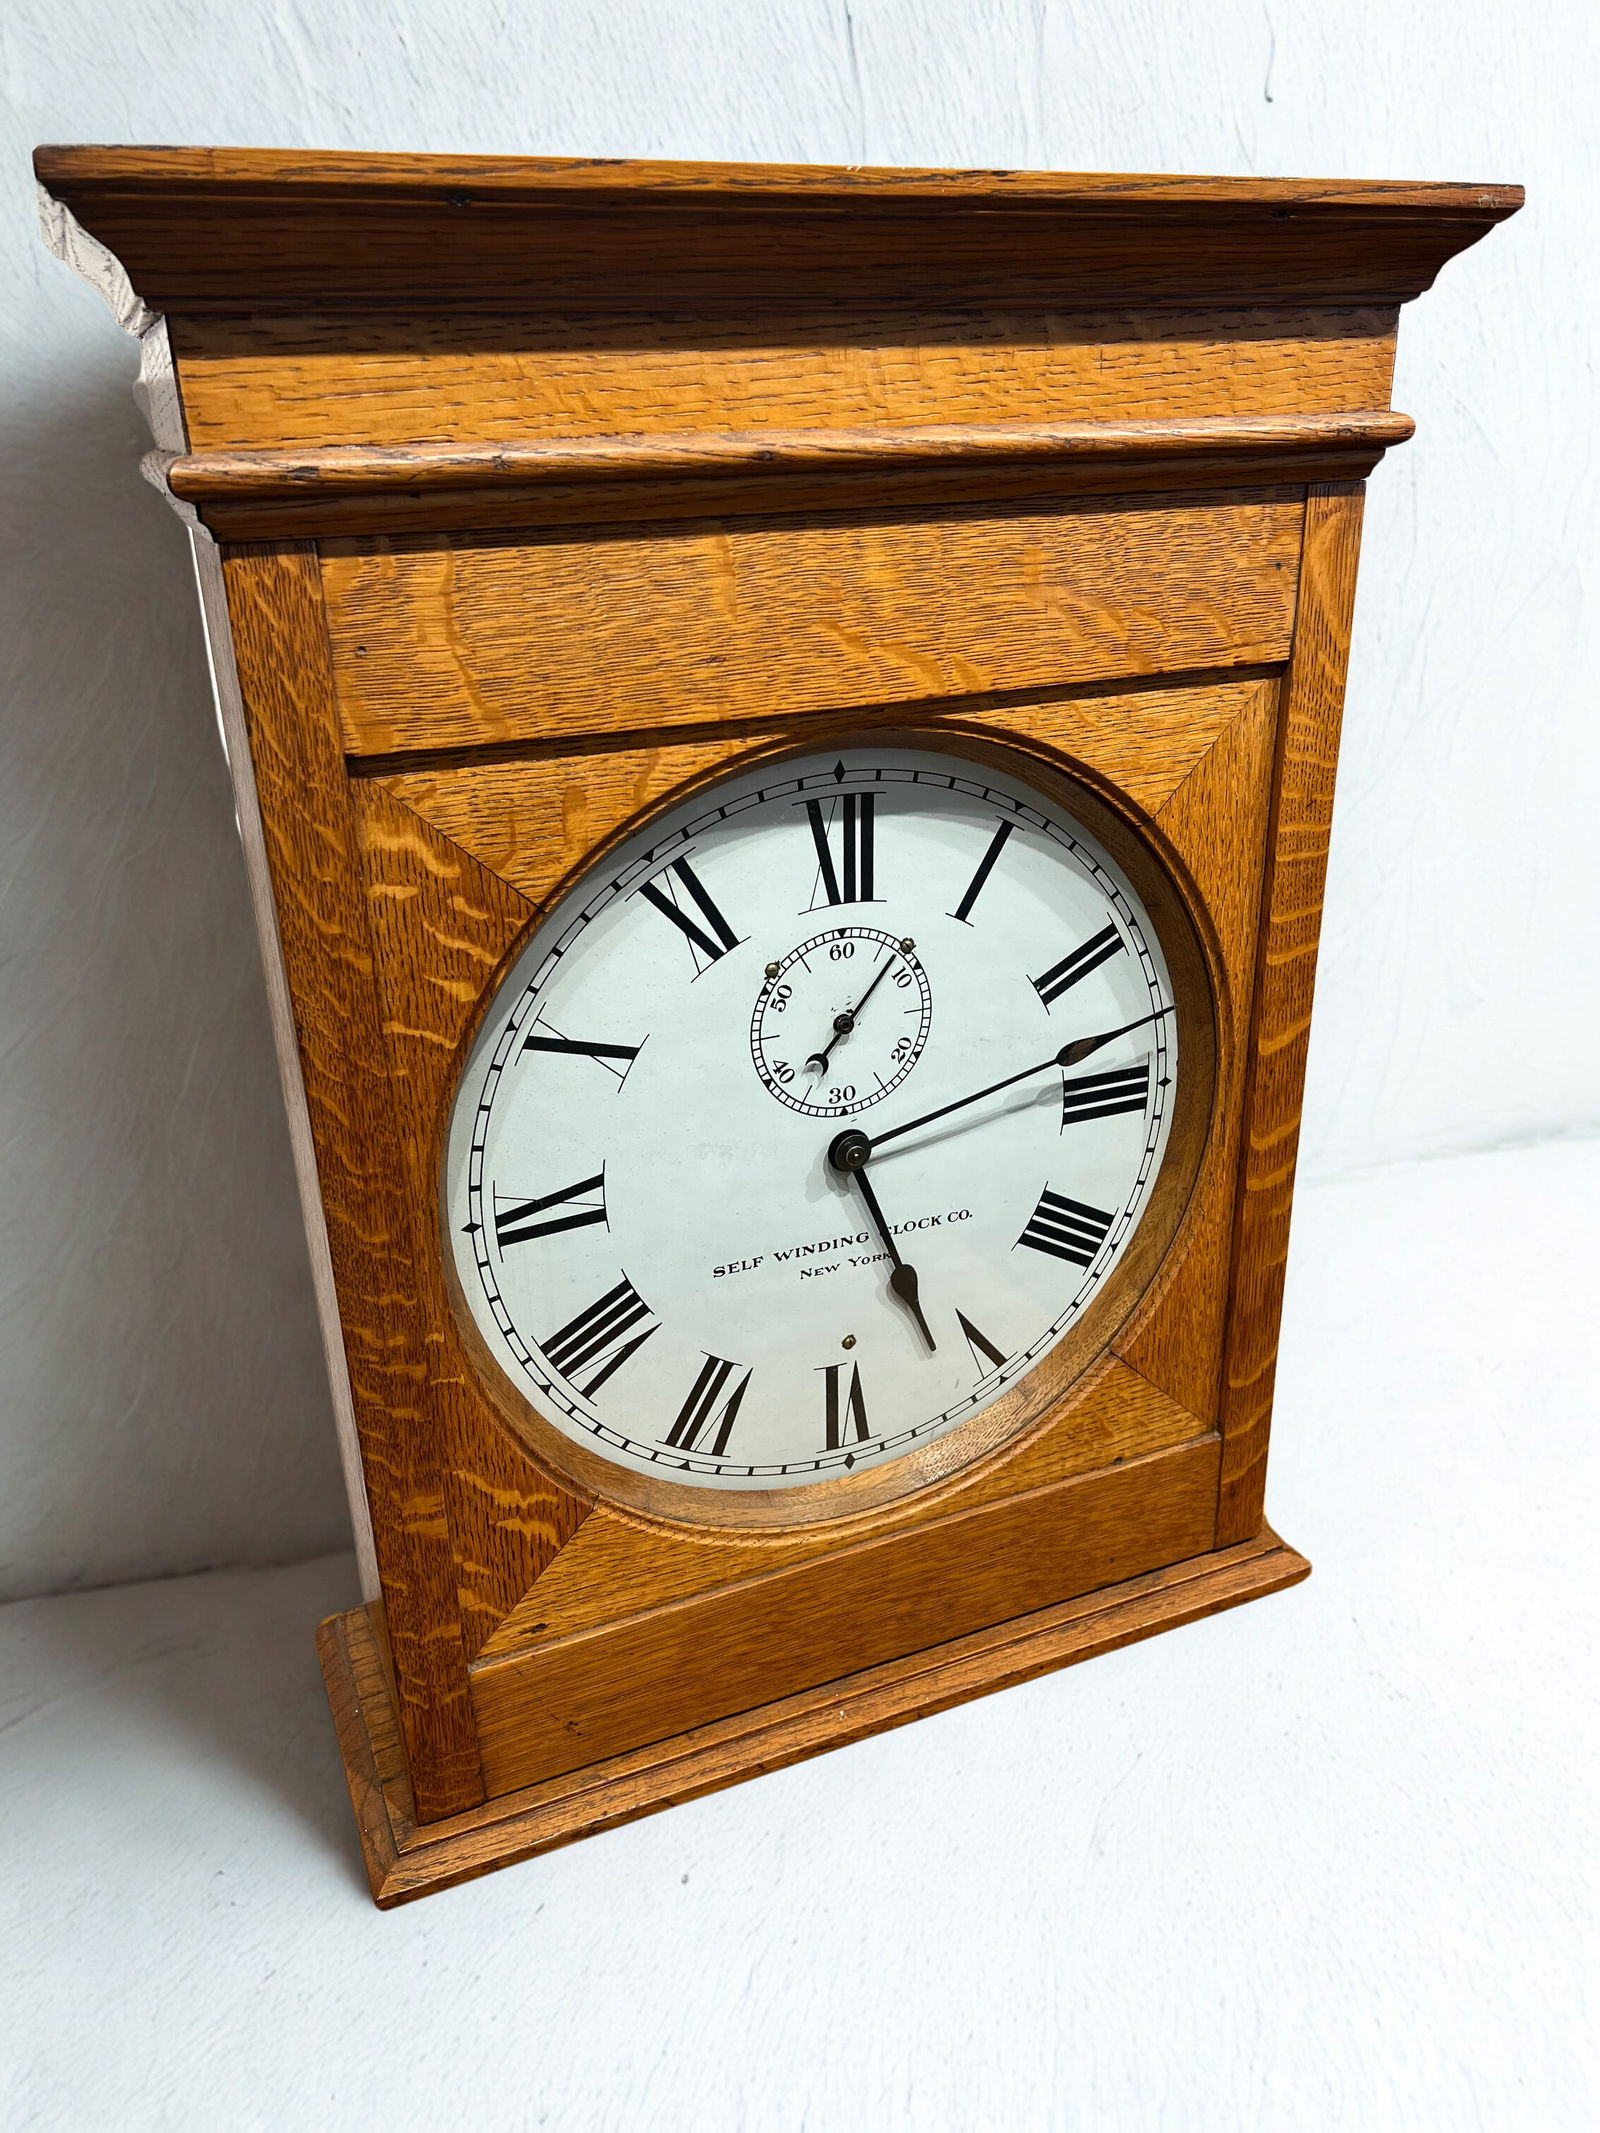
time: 12:25
